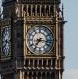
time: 7:16
